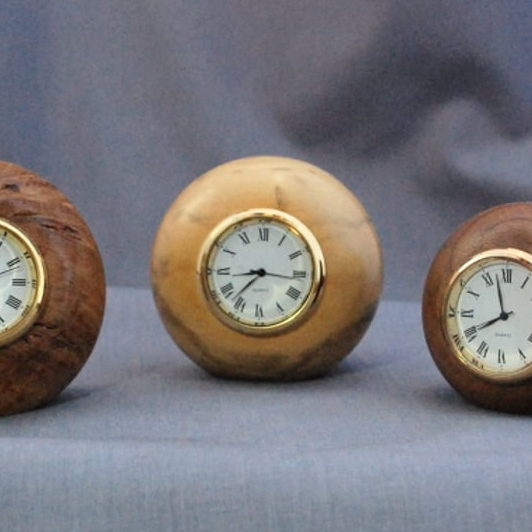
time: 7:15
